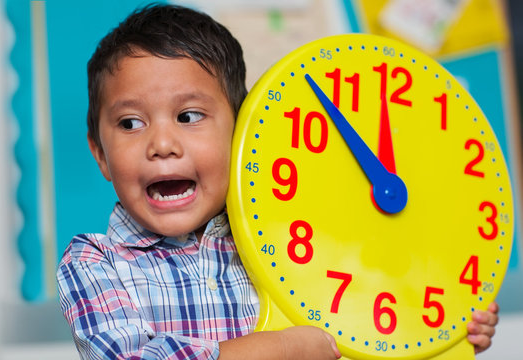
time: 11:52
